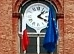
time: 1:18
